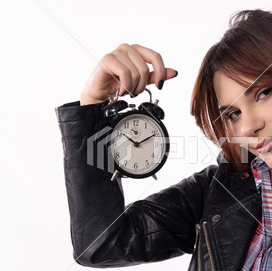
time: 10:11
